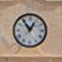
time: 12:54
